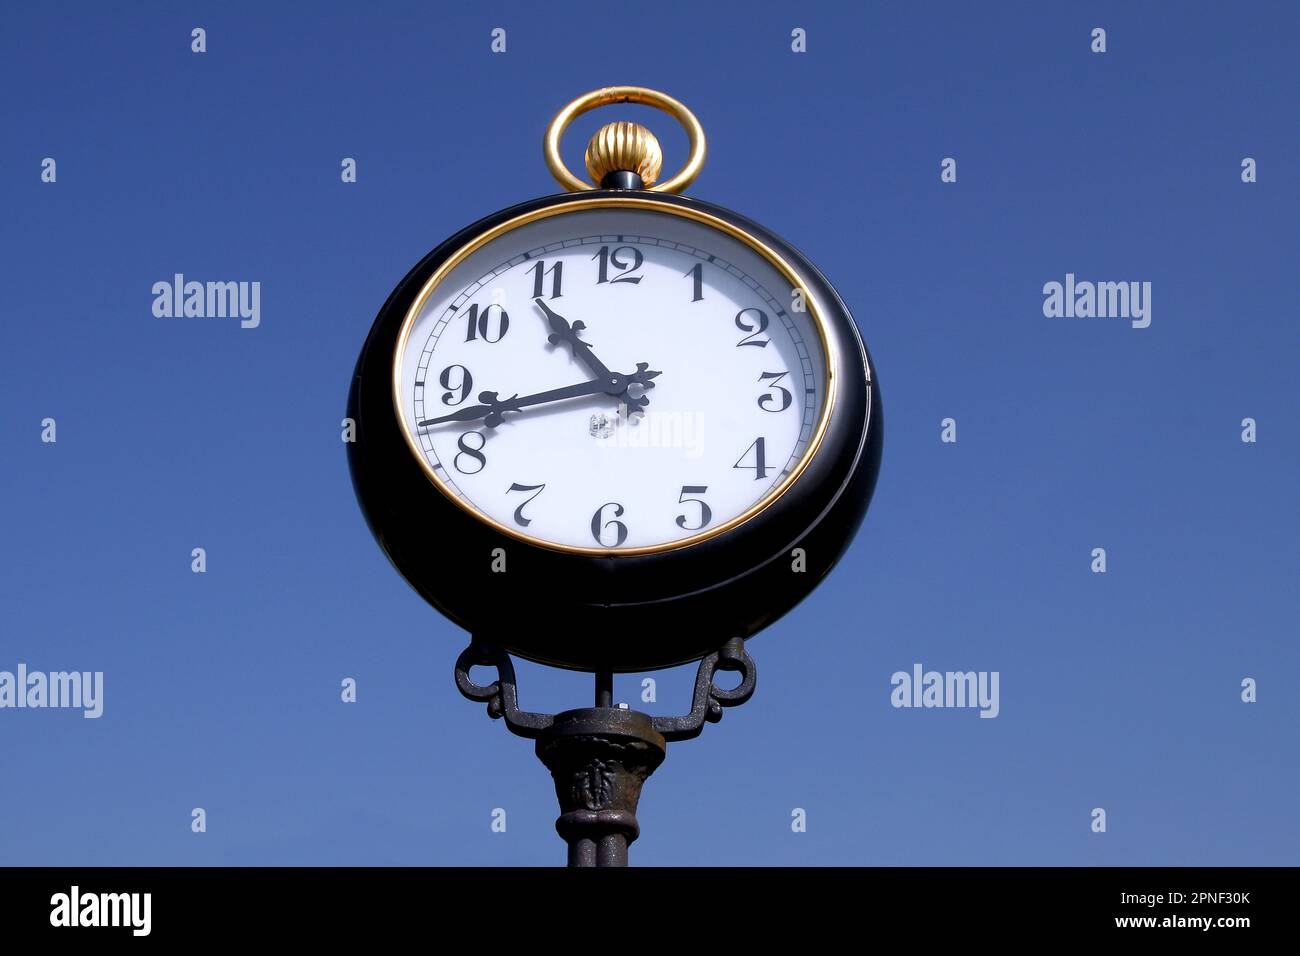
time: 10:42
